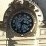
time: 3:32
